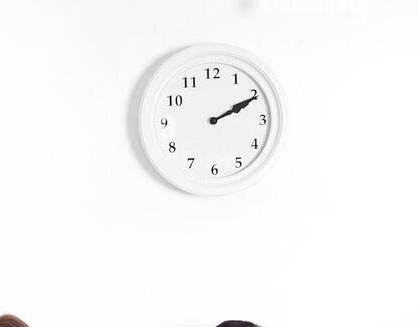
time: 2:10
